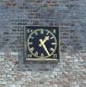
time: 1:25
